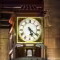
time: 5:21
